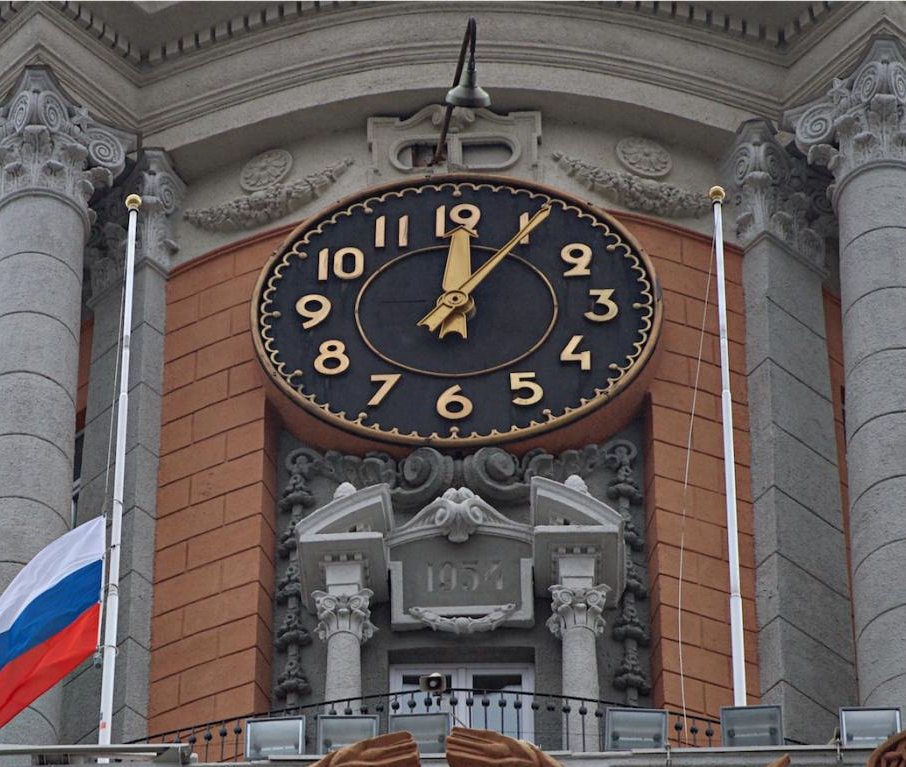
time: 12:05
